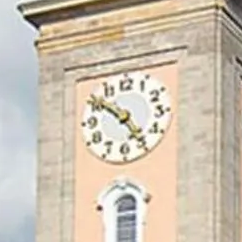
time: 10:24
